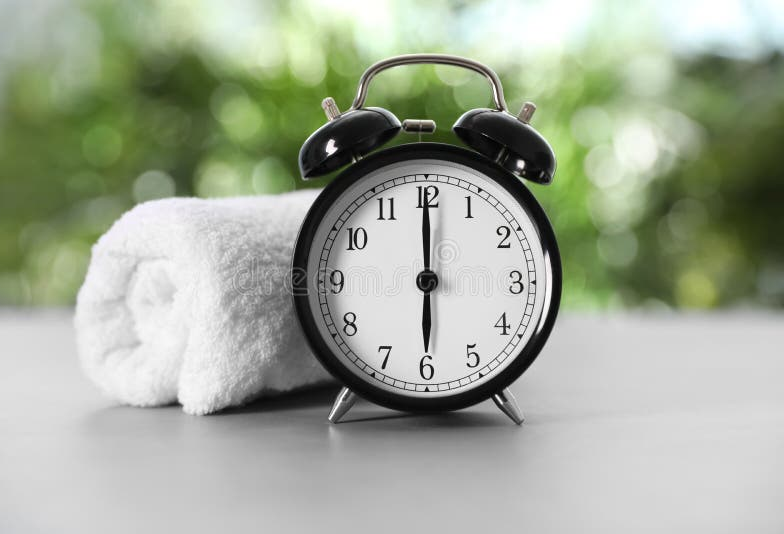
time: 6:00
